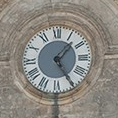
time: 1:24
